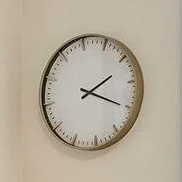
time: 2:19
